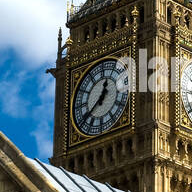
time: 12:38
